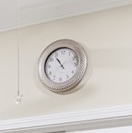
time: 10:53
